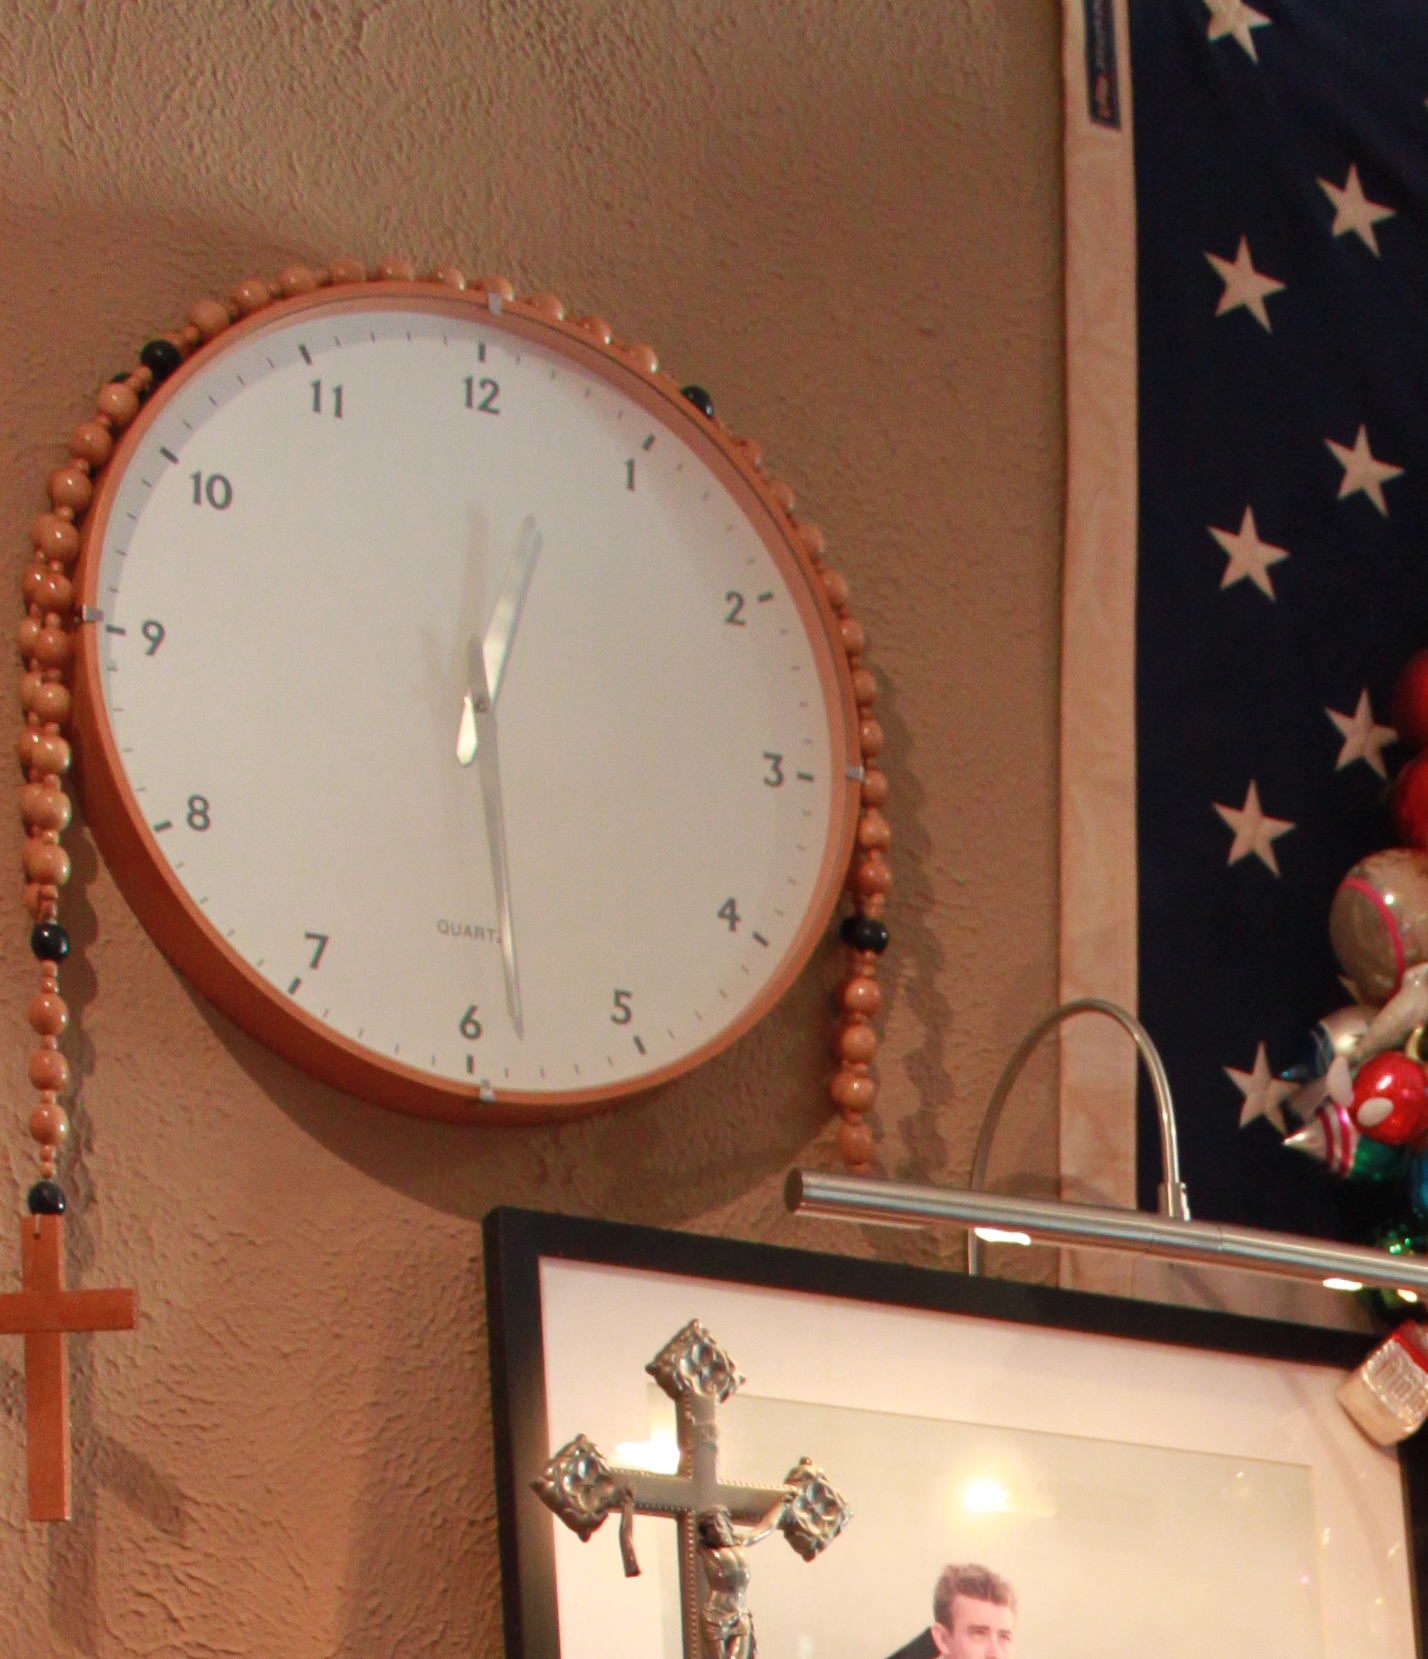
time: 12:28
